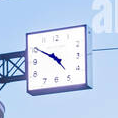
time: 4:50
